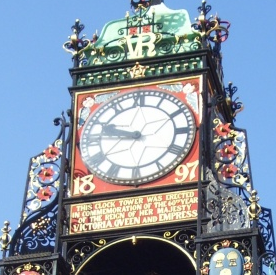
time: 9:47
